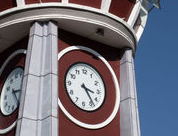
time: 3:23
